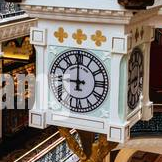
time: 8:59
